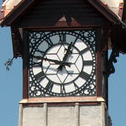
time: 12:47
